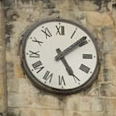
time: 5:08
